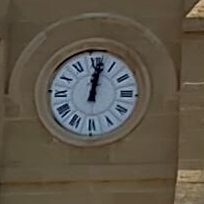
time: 12:01
